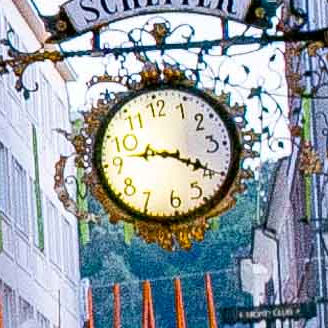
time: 9:20
